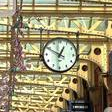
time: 12:49
